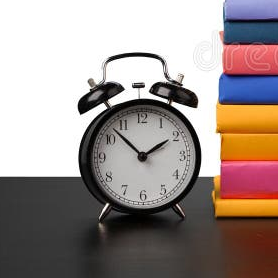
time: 1:52
